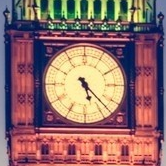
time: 5:22
